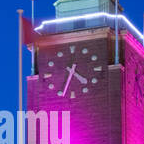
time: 4:33
